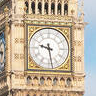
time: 9:28
